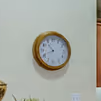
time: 10:41
